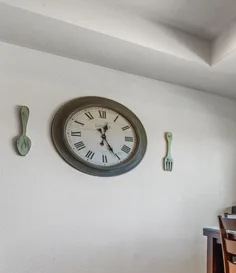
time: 12:25
